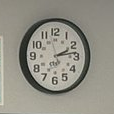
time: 2:13
